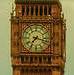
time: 7:17
